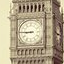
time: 8:45
